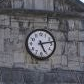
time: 5:13
